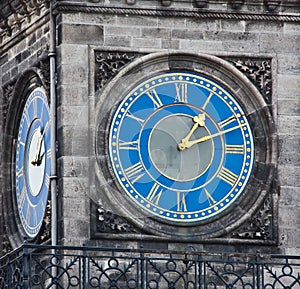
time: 1:11
